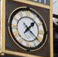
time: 1:21
